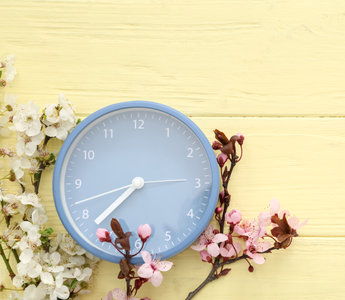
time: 7:37
